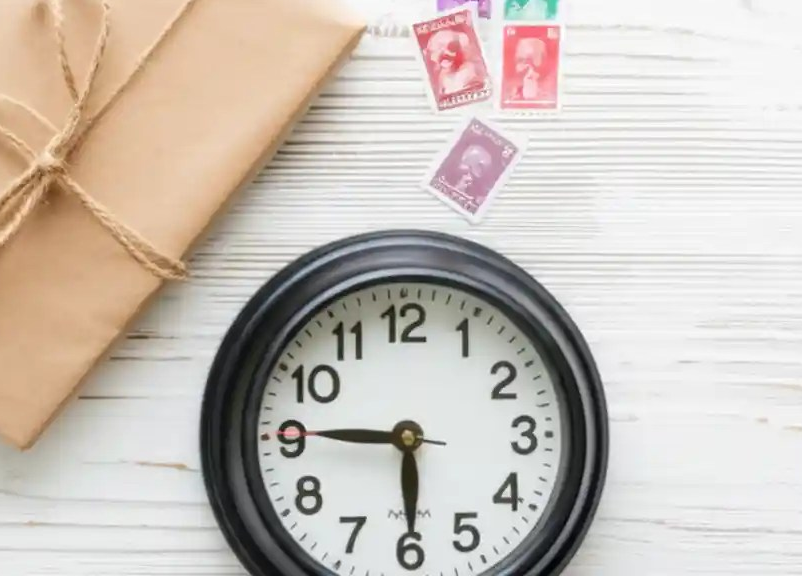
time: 5:45
